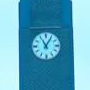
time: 11:05
